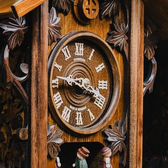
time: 3:47
